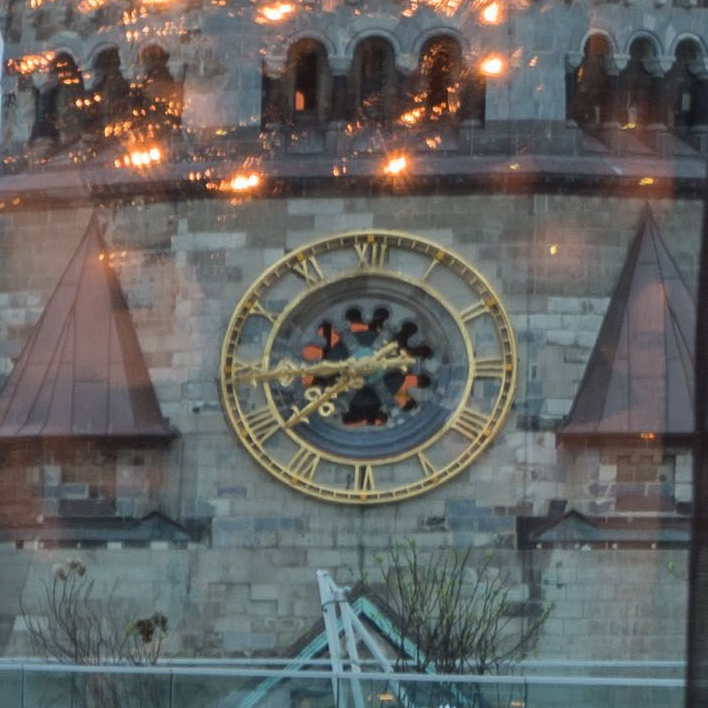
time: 8:38
